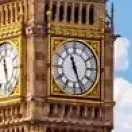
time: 11:26
